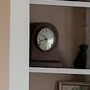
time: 10:42
